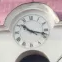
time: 10:17
